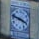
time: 3:48
